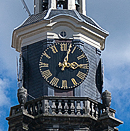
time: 3:02
